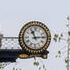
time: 11:13
